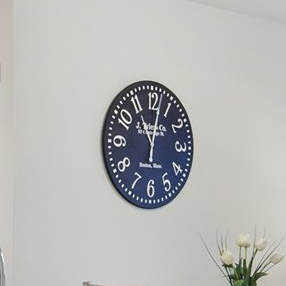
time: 11:02
